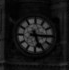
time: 5:15
